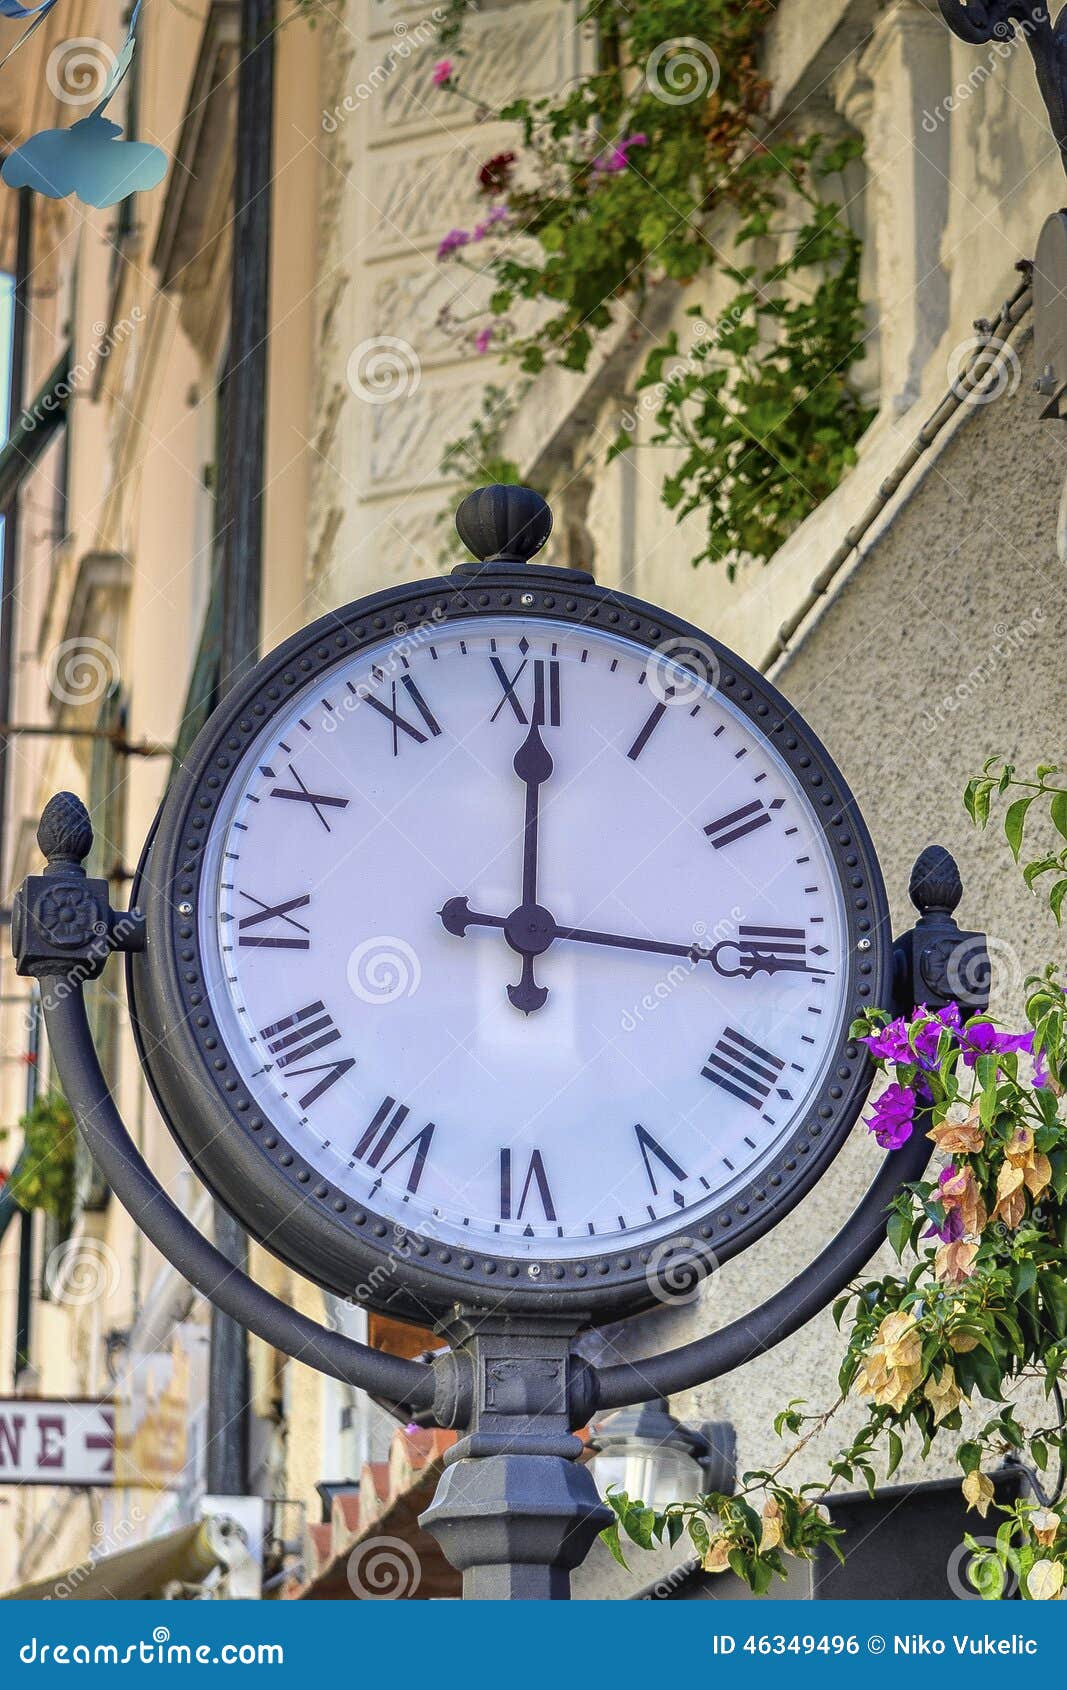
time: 3:00
